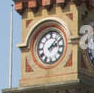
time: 2:07
